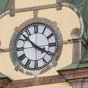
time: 3:52
